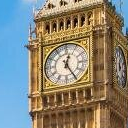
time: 12:24
